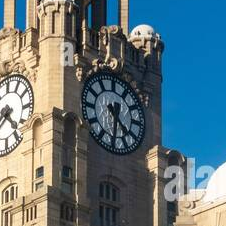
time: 4:31
